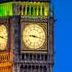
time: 9:17
